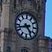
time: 4:42
